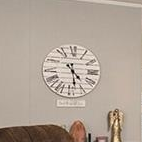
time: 4:28
